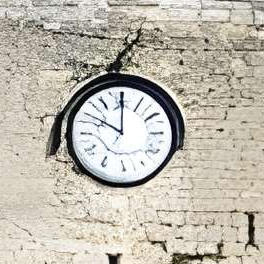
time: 10:00
